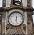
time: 12:27
